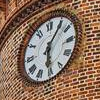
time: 6:06
